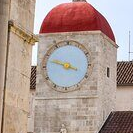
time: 3:48
